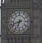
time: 6:41
